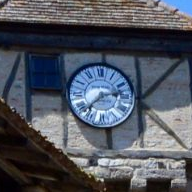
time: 2:37
